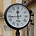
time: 11:44
